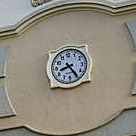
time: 8:24
